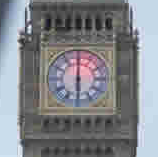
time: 6:00
